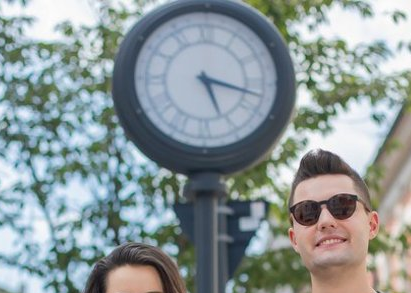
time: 5:17
